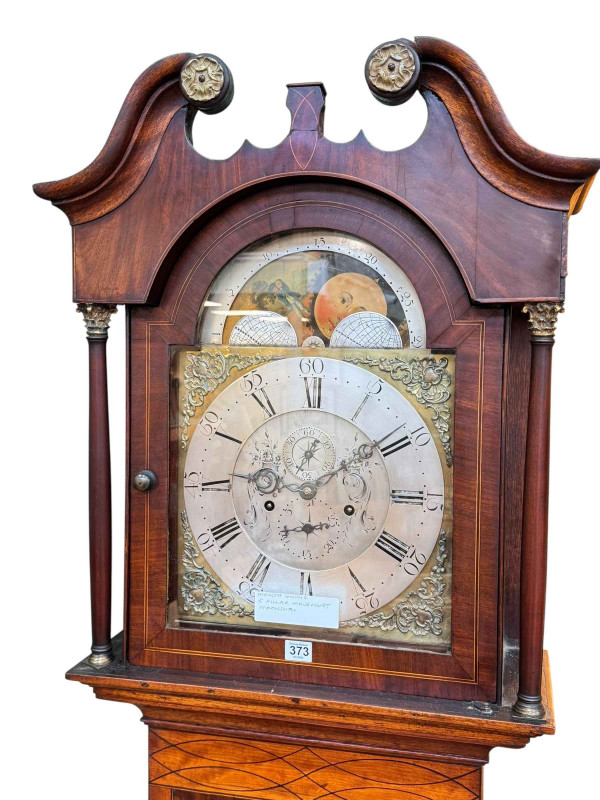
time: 8:09
